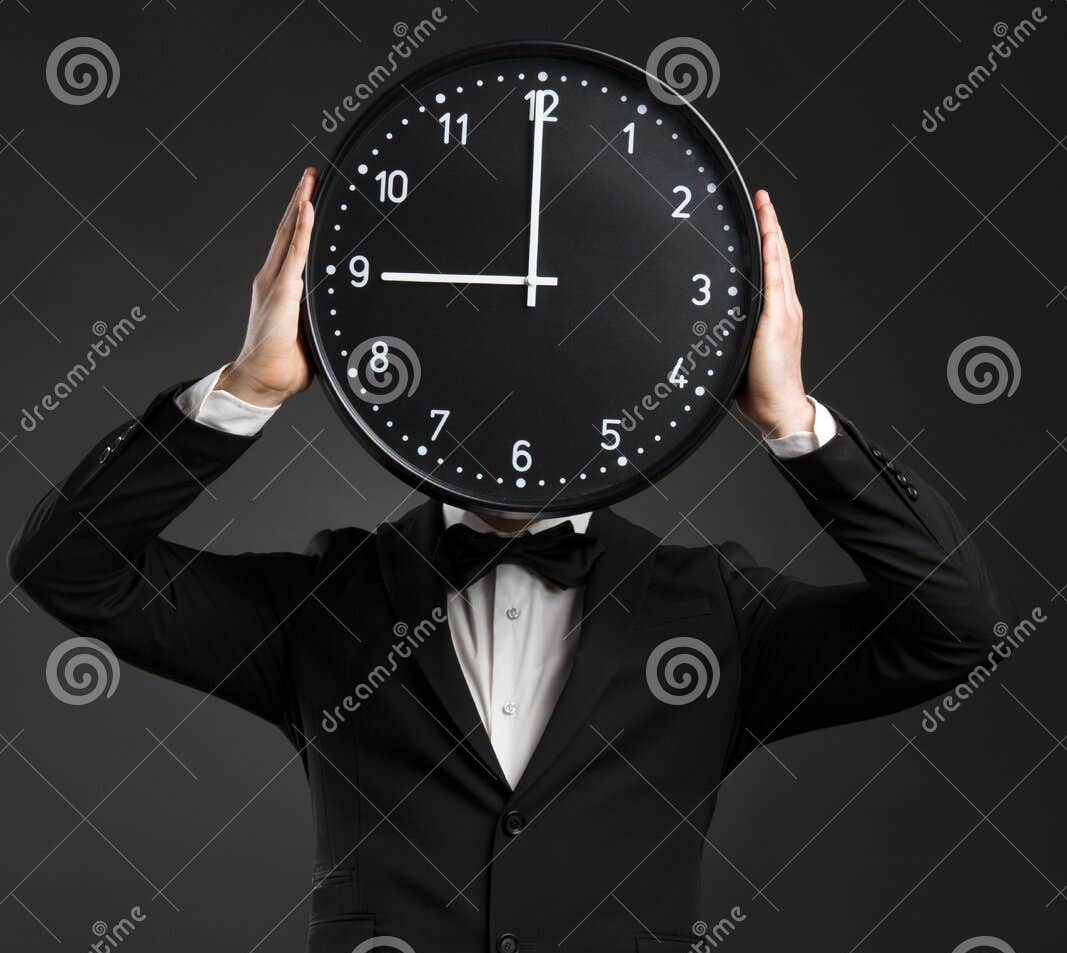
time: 8:59
